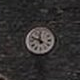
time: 11:48
